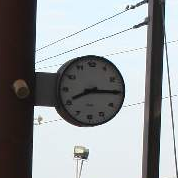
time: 8:14
